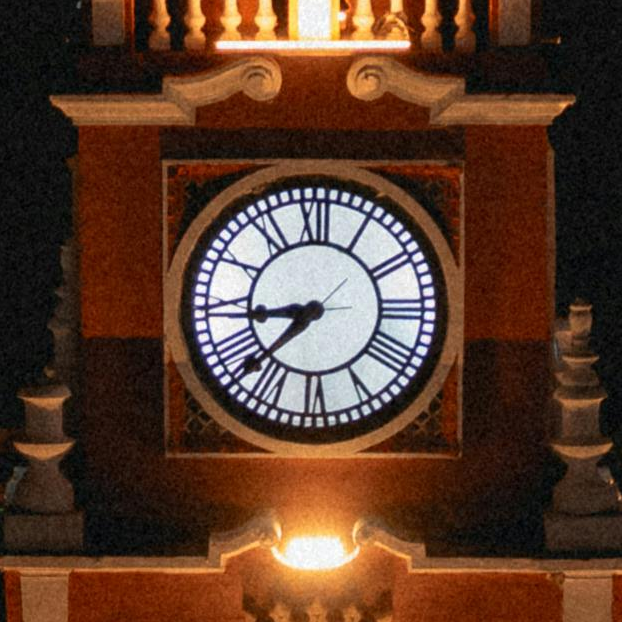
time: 8:37
